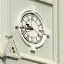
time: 9:43
